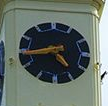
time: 4:43
